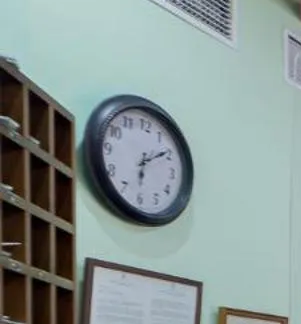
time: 6:09
